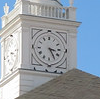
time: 3:24
